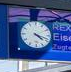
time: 4:18
